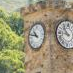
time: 10:47
